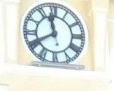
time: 11:40
